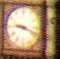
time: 9:18
